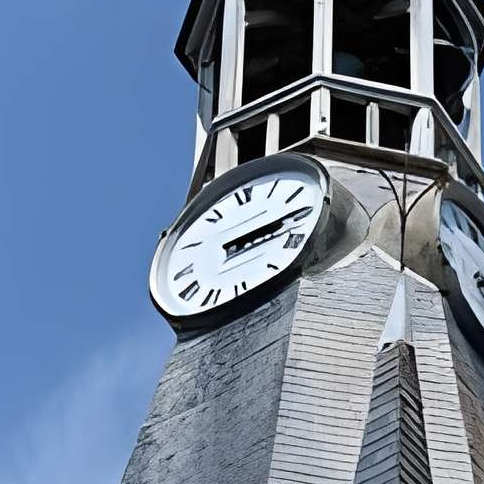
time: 3:14
